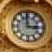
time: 2:58
